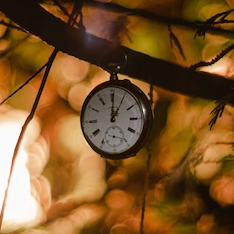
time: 1:00
